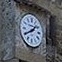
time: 1:40
